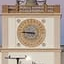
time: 8:45
